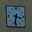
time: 3:32
